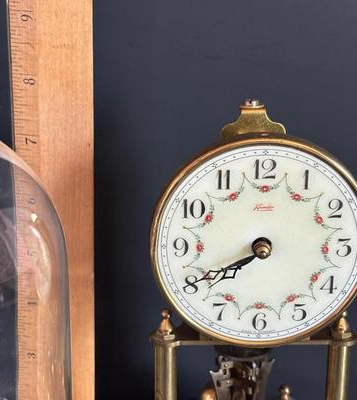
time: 7:40
